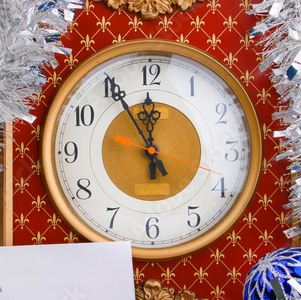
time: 11:55
